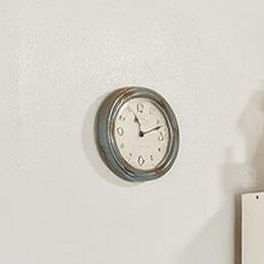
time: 11:11
